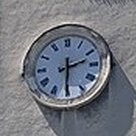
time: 2:30
